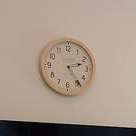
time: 2:24
